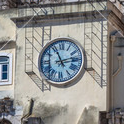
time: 11:12
